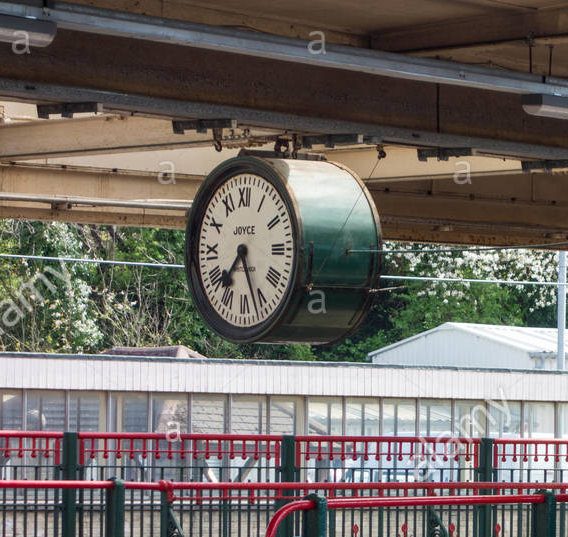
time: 7:27
